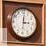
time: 3:00
